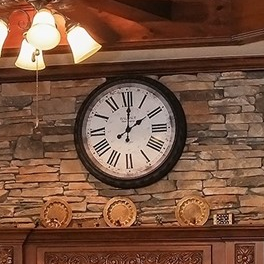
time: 2:00
